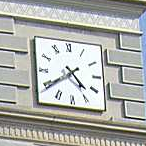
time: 4:39
